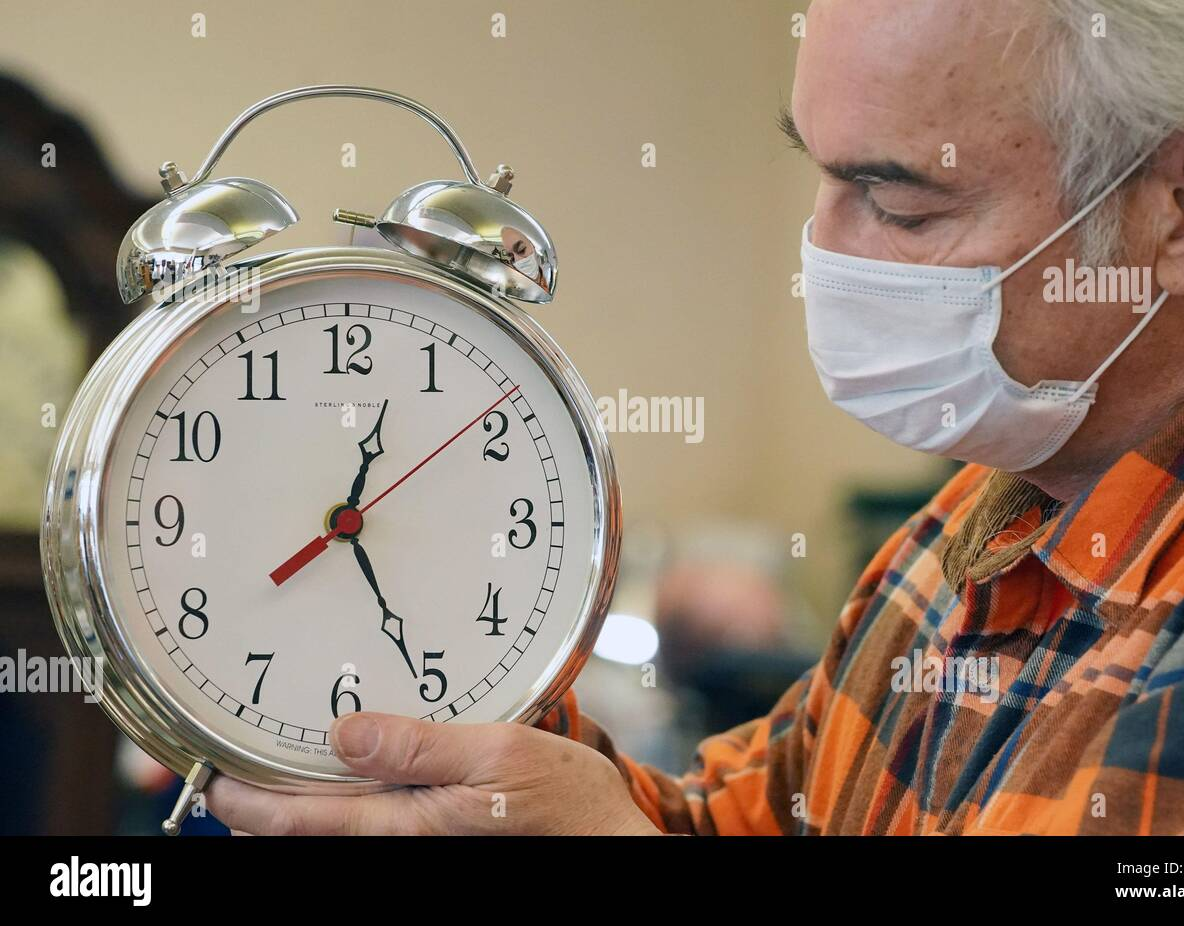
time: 12:25
